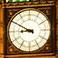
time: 8:49
